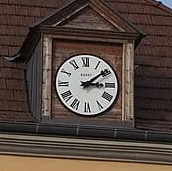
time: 3:09
